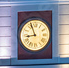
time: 8:56
